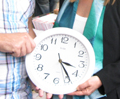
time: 3:23
